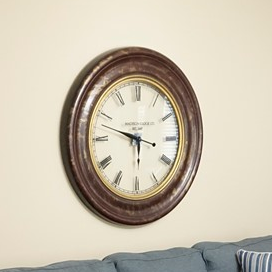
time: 5:47
